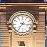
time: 7:15
